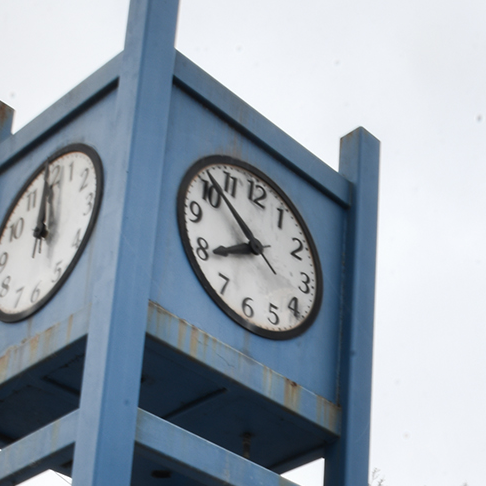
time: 7:51
